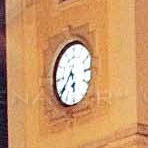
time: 5:38
